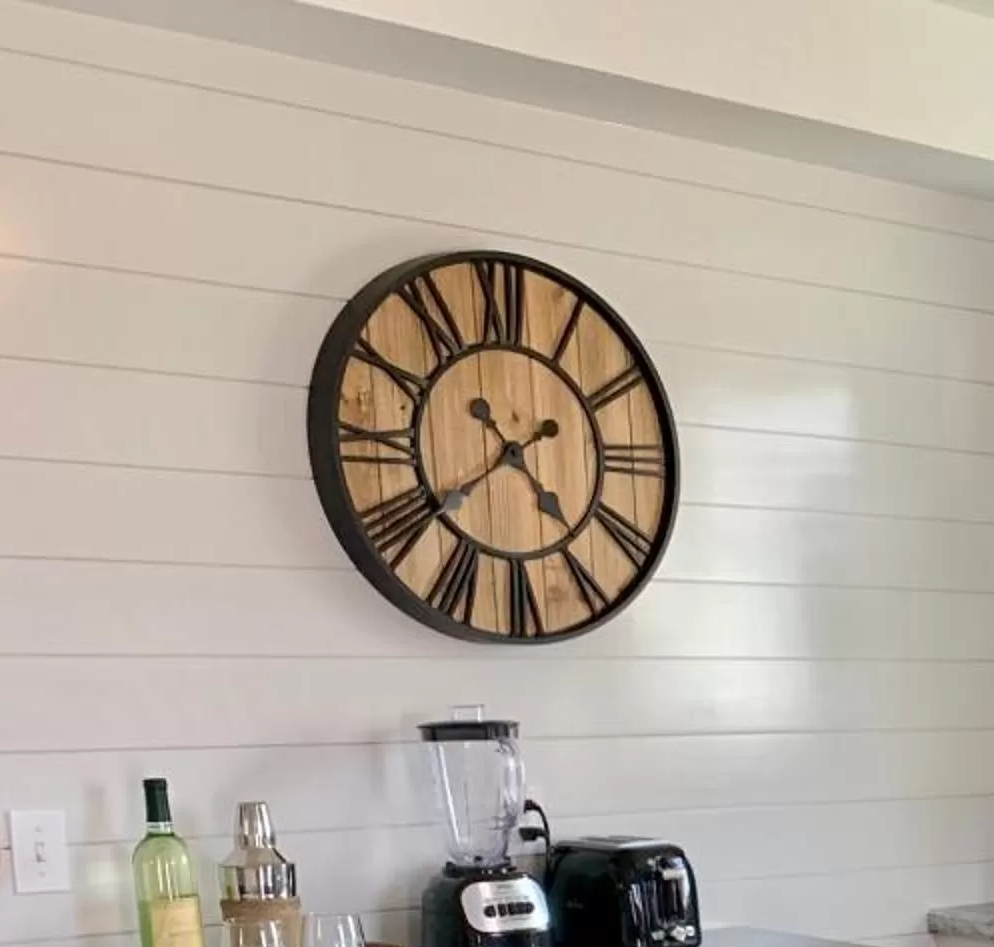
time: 4:39
